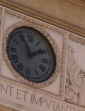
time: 1:54
